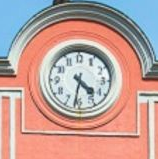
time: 4:31
